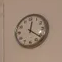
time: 12:21
